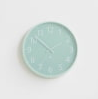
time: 1:52
